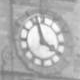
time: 3:57
